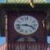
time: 3:43
